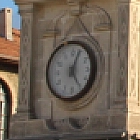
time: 5:03
